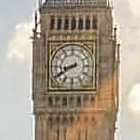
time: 8:40
